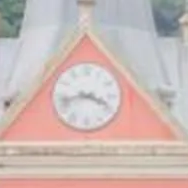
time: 3:42
